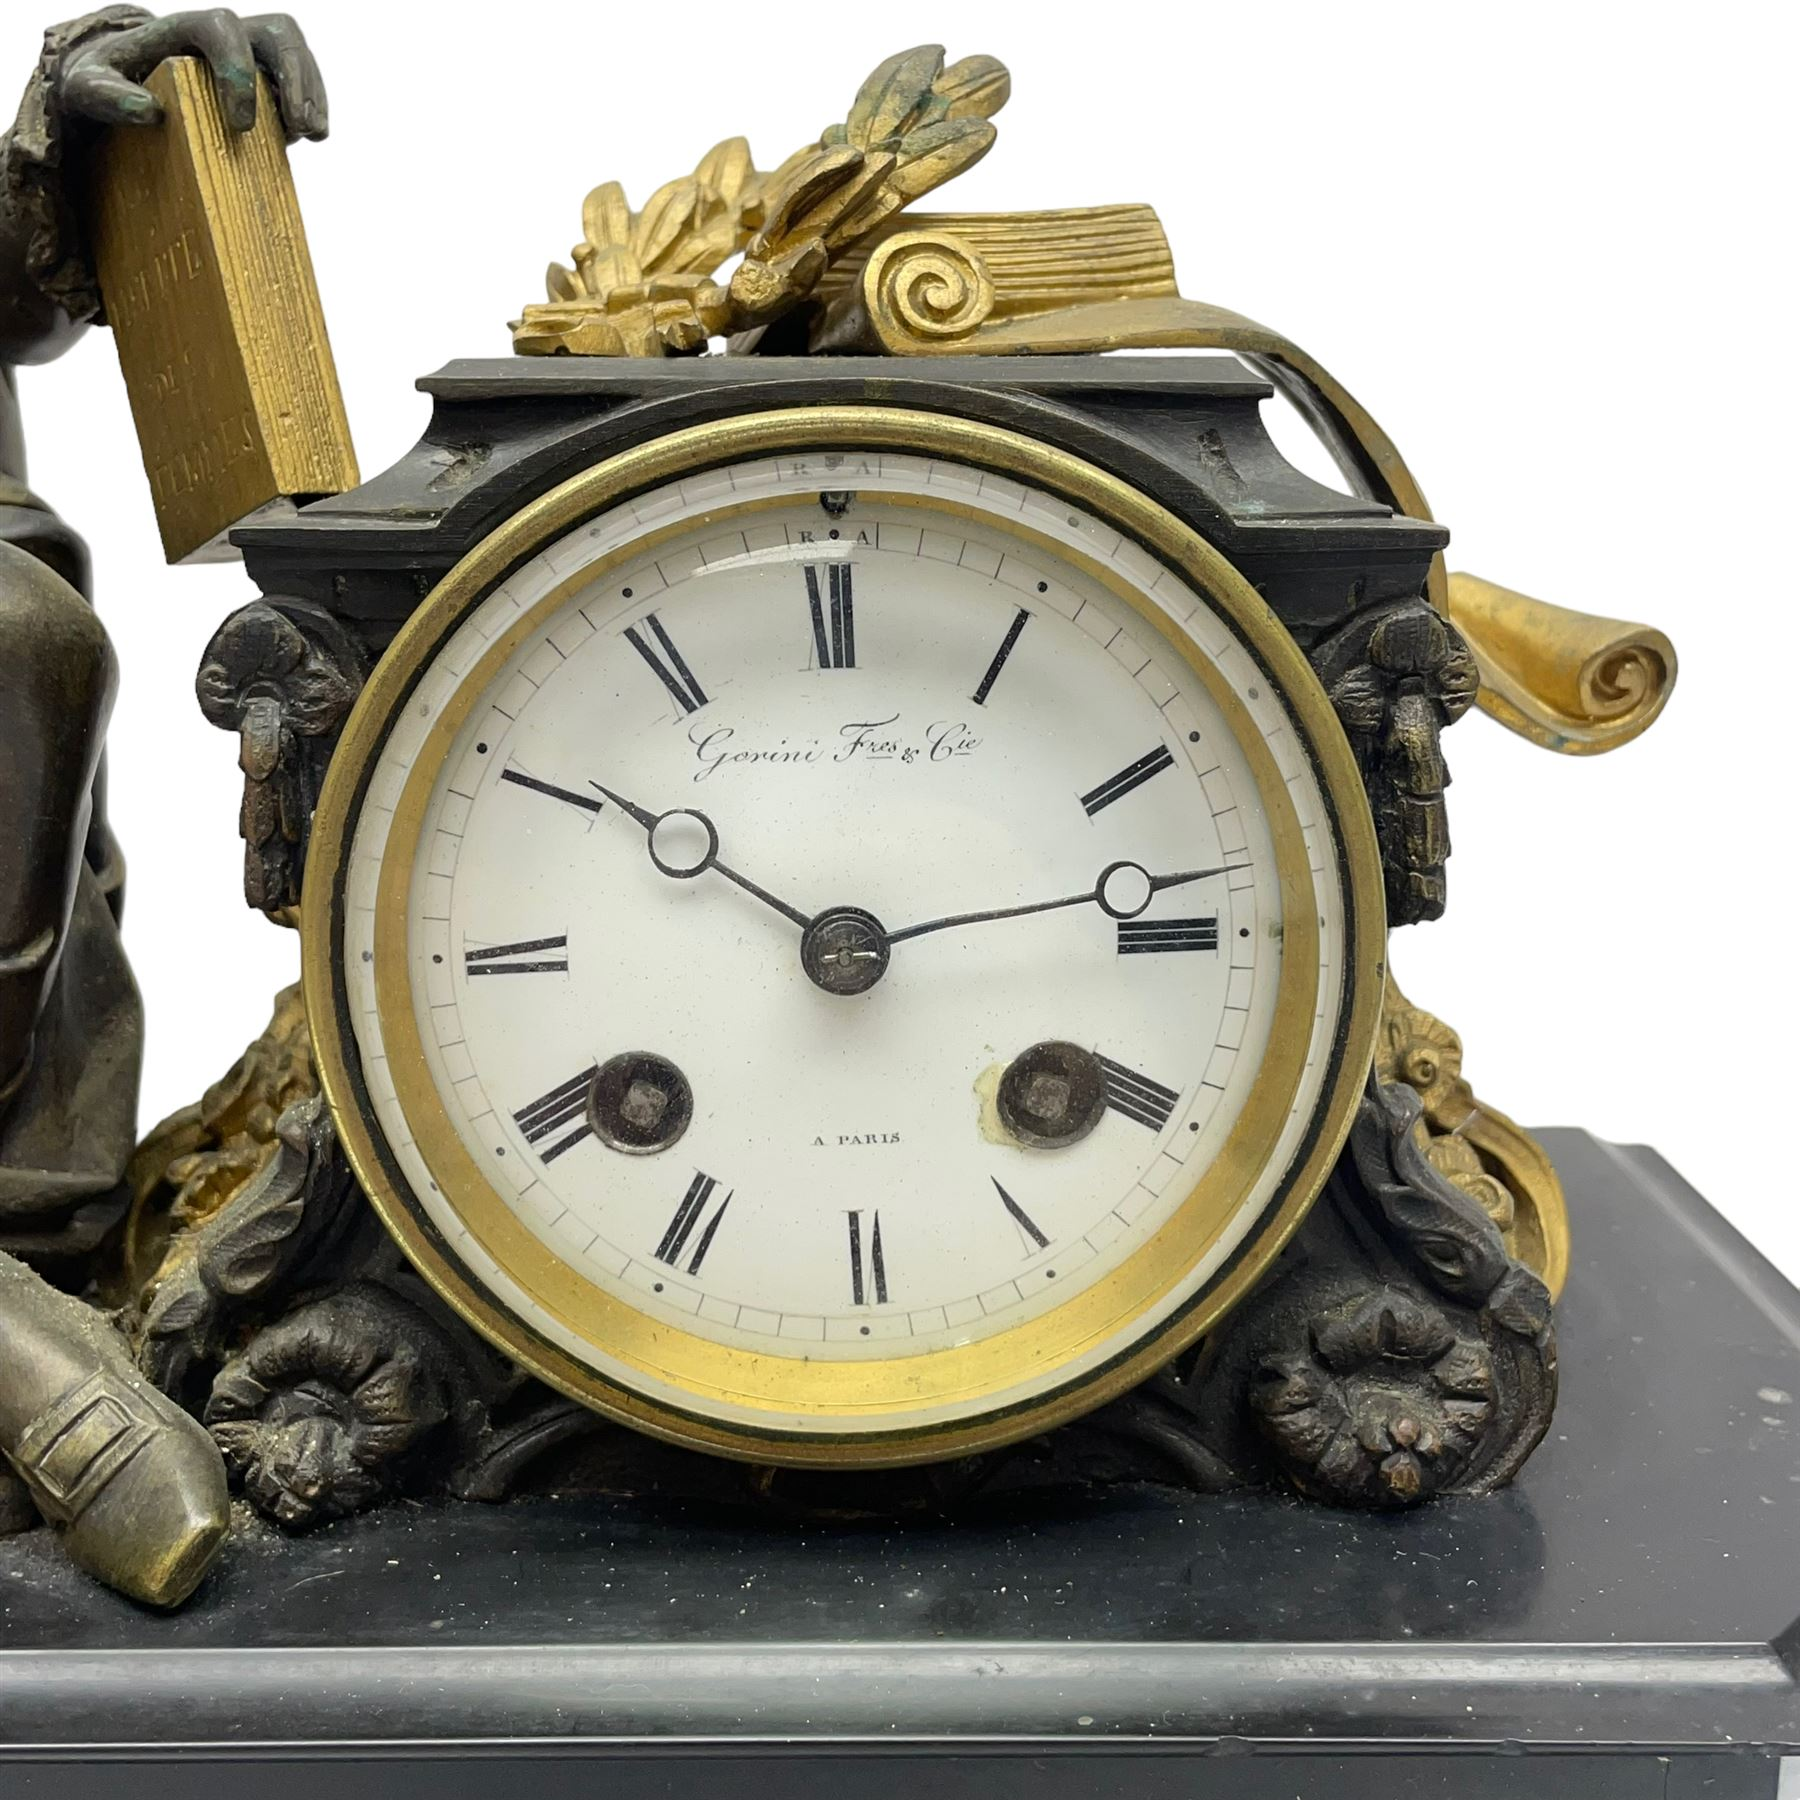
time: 10:13
